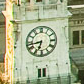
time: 6:42
